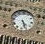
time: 4:26
